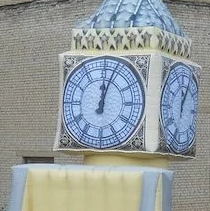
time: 12:03
